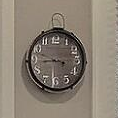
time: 8:48
